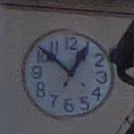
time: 12:51
